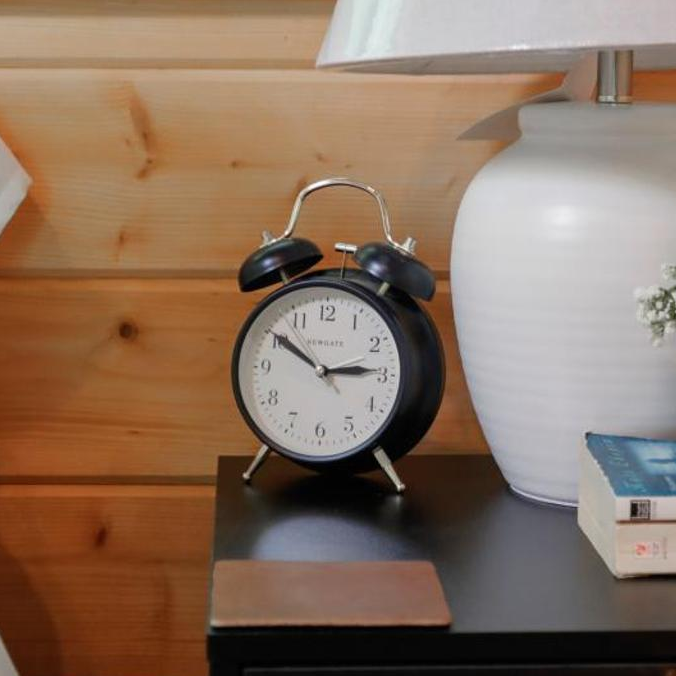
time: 2:50
